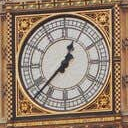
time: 12:37
